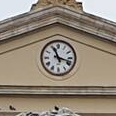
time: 11:17
